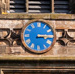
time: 3:14
